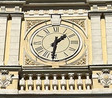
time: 1:31
